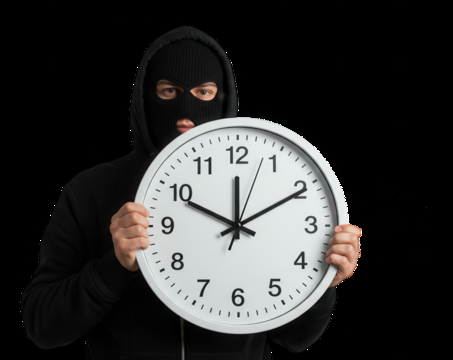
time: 12:10
